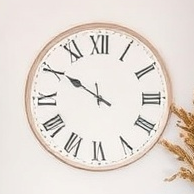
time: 9:50
